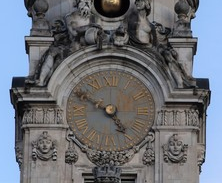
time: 4:49
